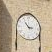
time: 2:53
